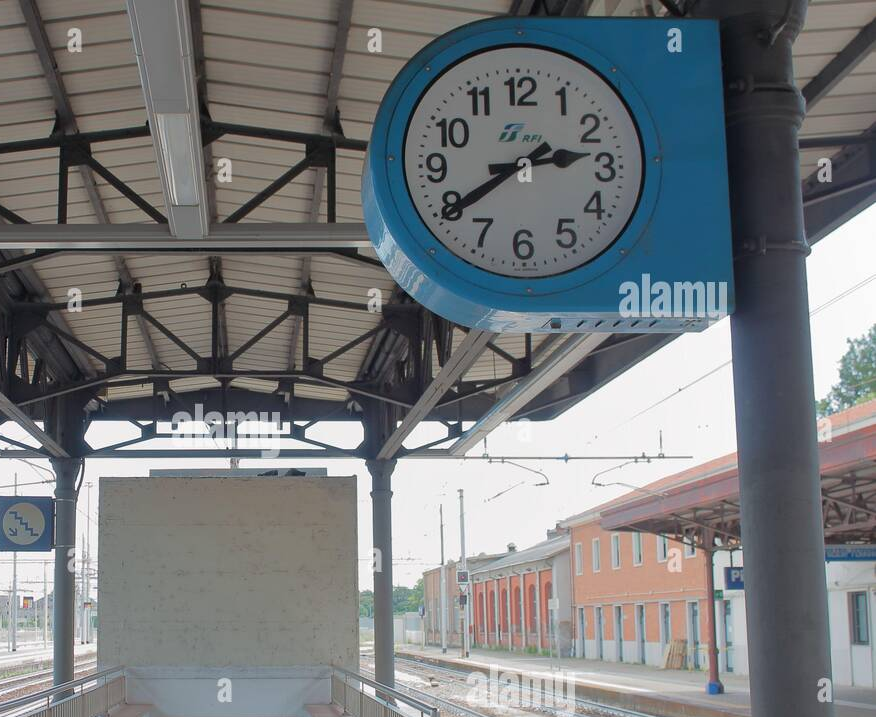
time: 2:39
